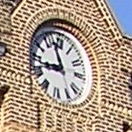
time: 11:42
